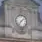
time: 7:07
